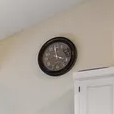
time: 3:58
